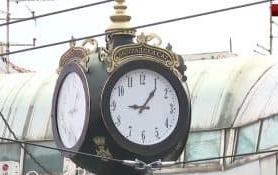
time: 9:06
